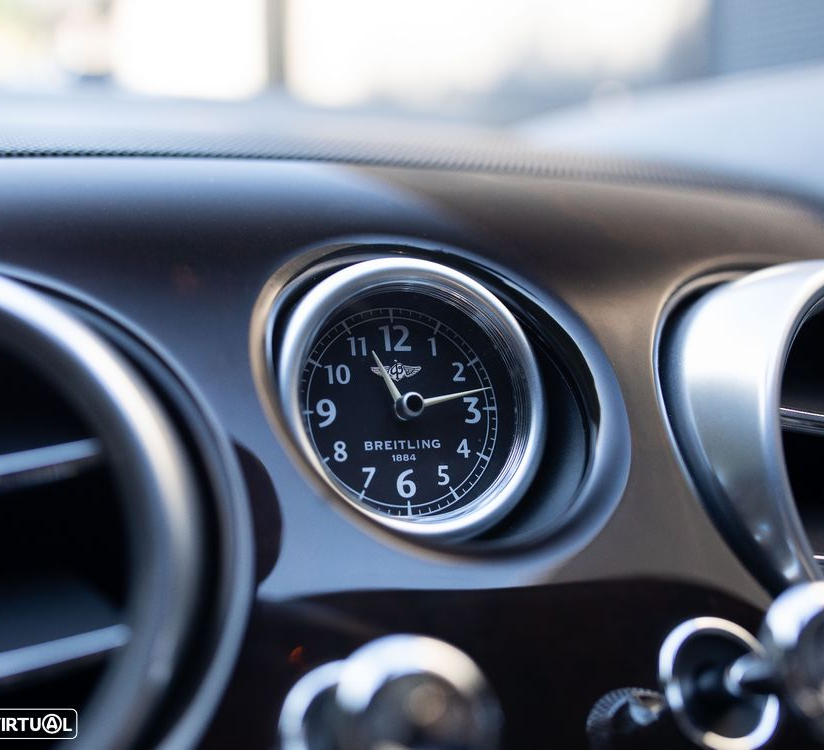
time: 11:13
